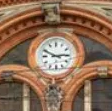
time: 2:49
